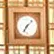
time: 7:07
